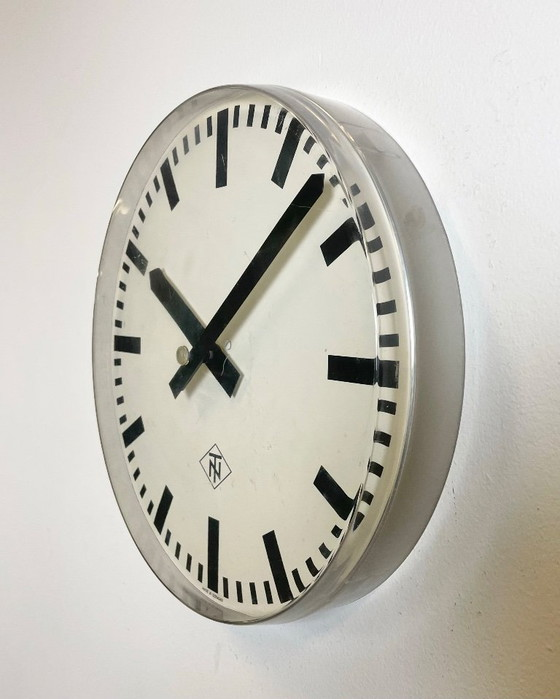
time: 10:07
